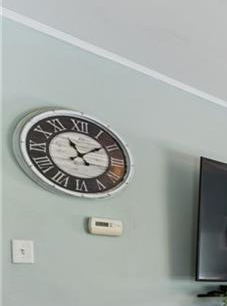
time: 11:09
